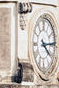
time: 4:14
